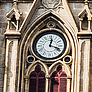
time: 12:18
